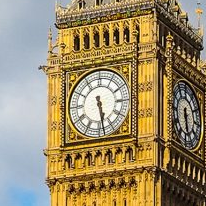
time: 5:28
